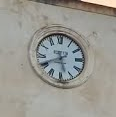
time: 5:40
